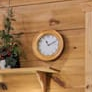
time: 11:11
